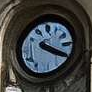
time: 4:19
